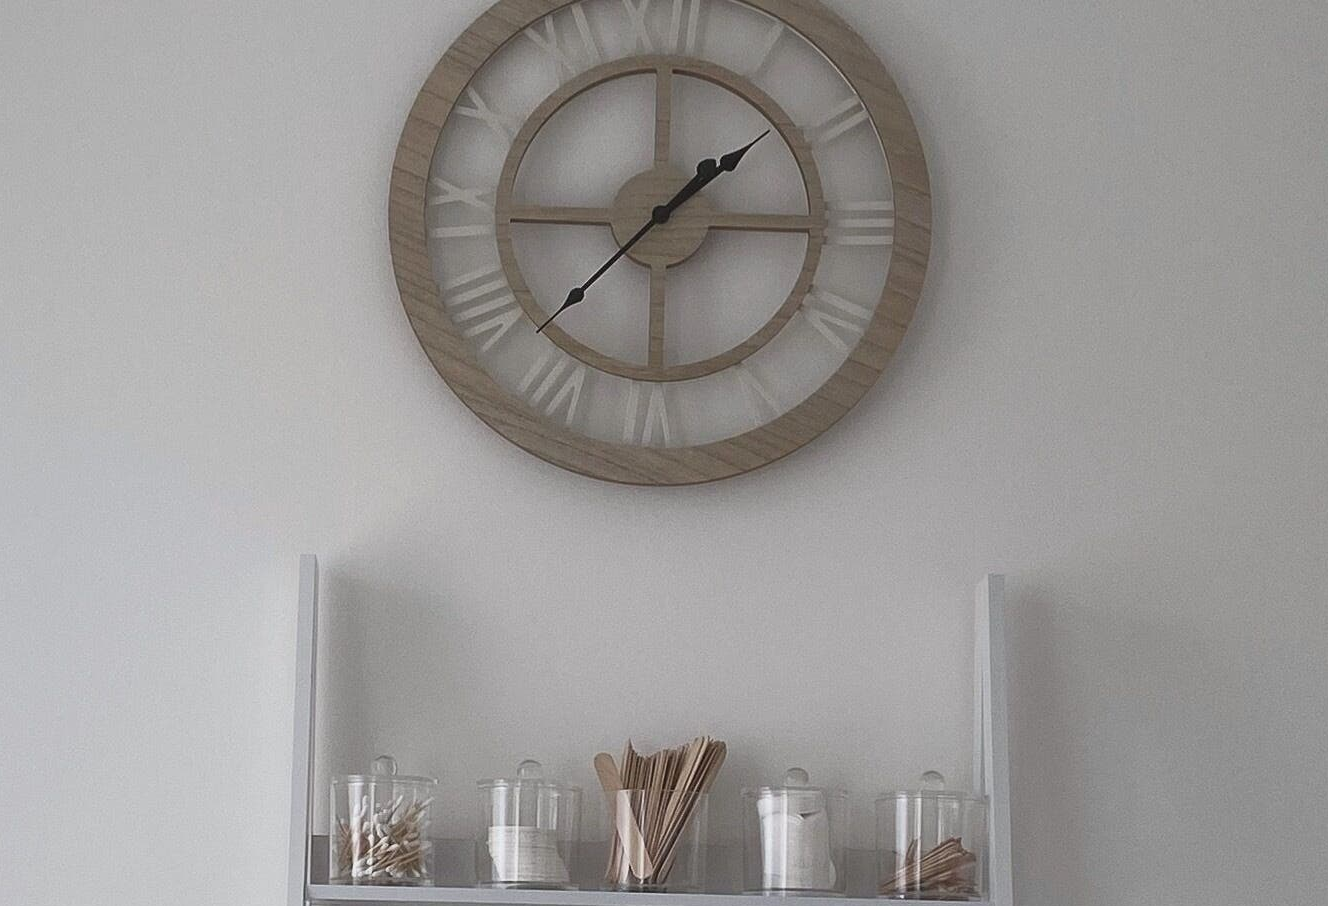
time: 1:37
